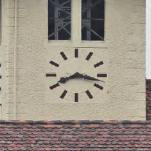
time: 8:17
